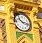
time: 10:17
